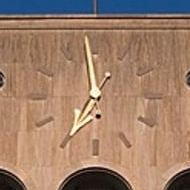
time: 6:58
